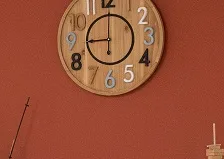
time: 9:00
